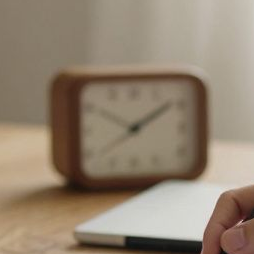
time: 10:08
